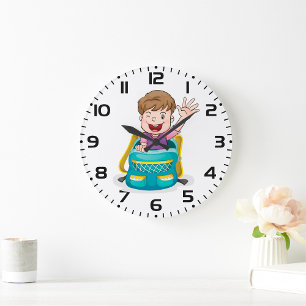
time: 1:49
